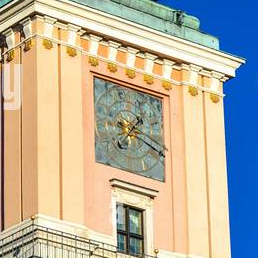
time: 1:18
